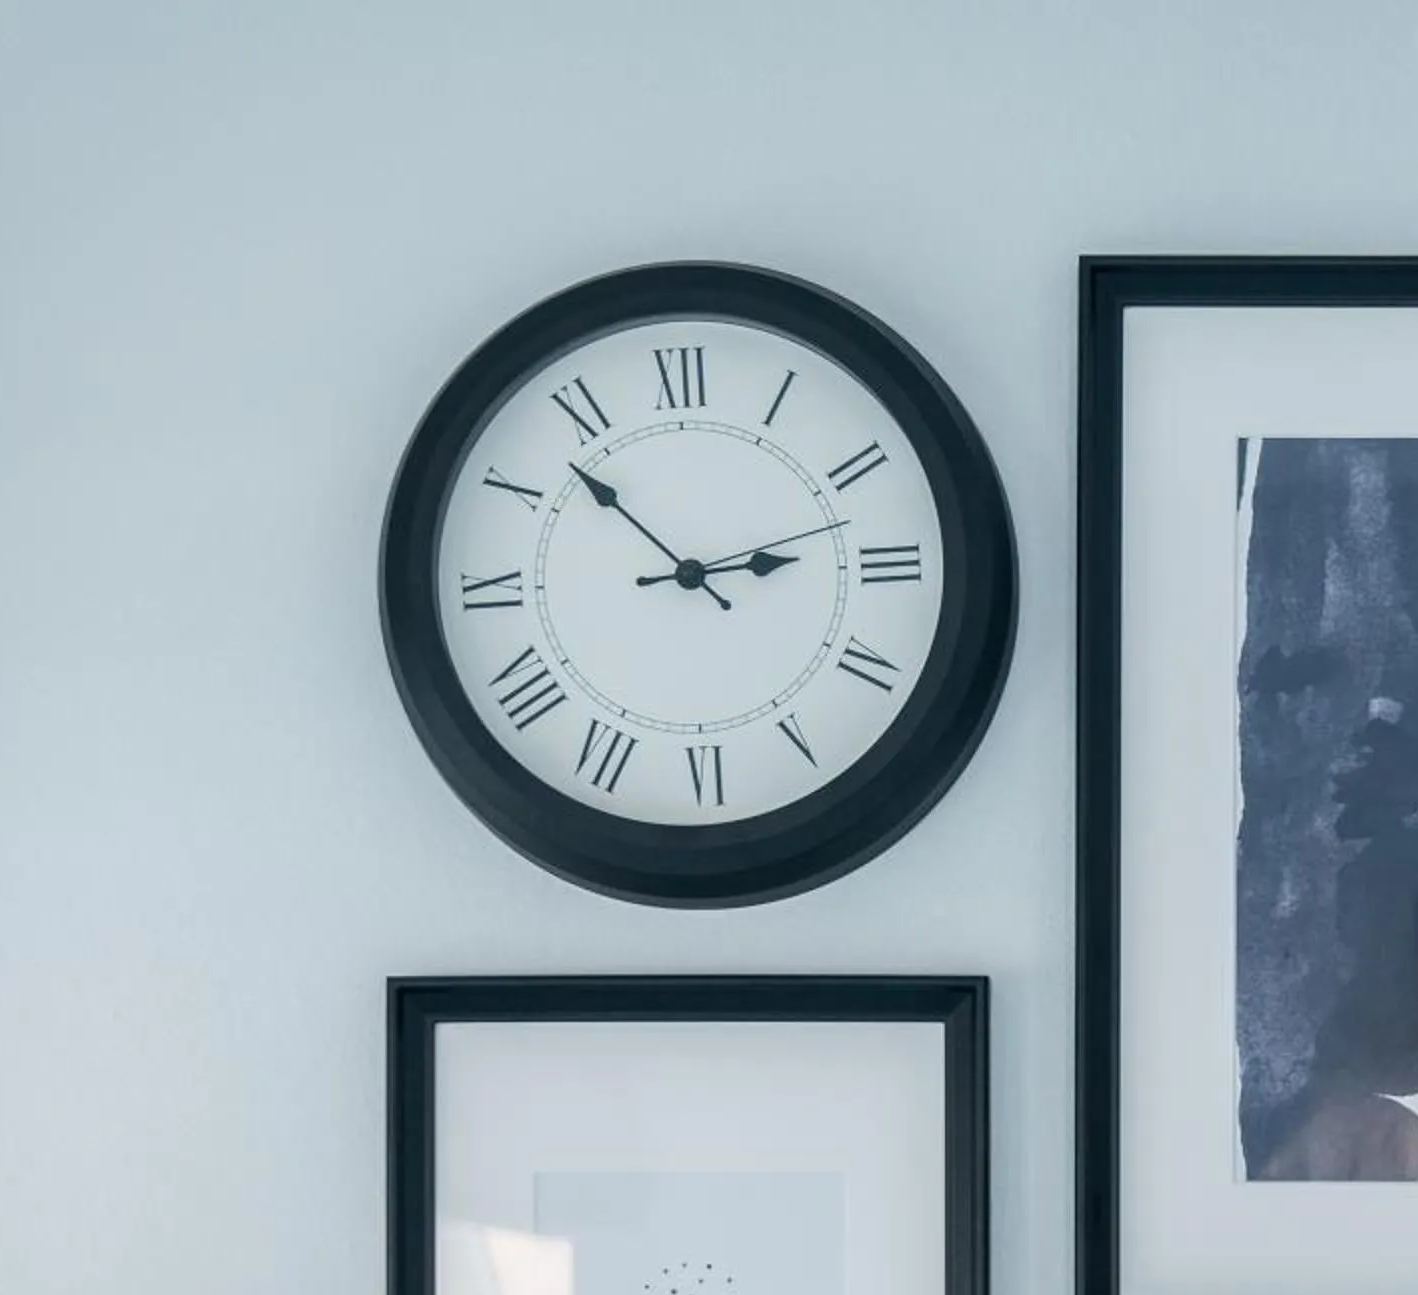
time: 2:53
